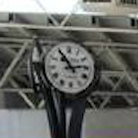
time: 2:54
